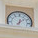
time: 12:07
